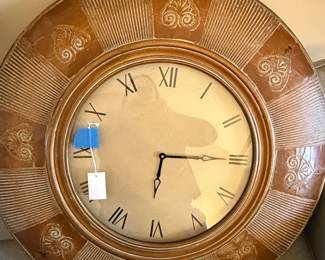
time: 6:15
